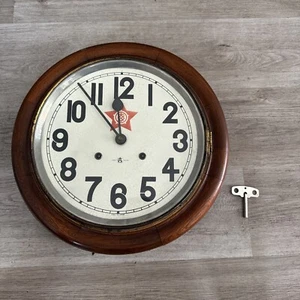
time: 11:53
